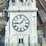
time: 9:07
